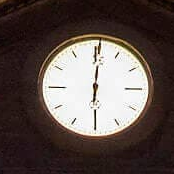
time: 6:00
